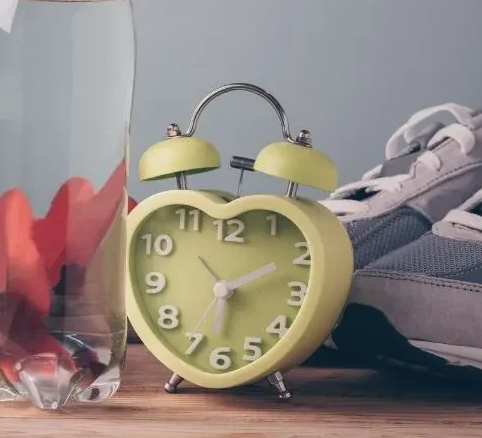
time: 6:10
